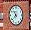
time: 10:37
